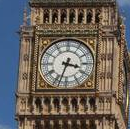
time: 3:33
